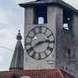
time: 2:40
